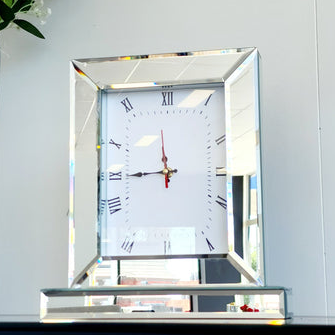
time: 11:44
